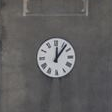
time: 12:06
